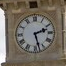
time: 2:27
